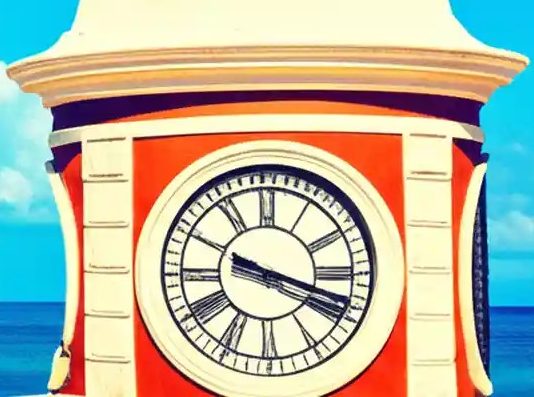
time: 3:18
